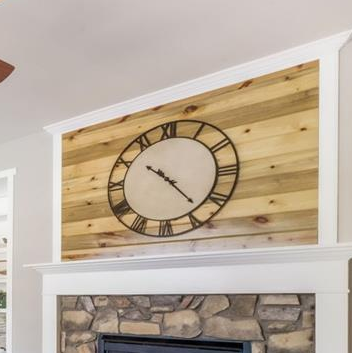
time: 10:23
